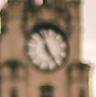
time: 4:57
